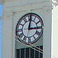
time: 3:01
